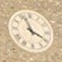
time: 3:57
